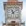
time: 11:07
